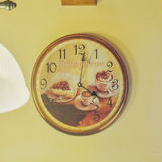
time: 4:01
